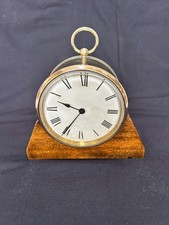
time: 9:35
